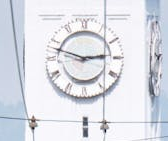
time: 2:48
